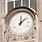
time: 12:07
